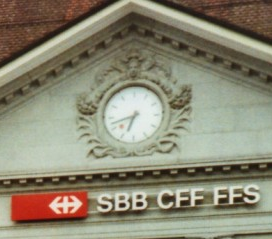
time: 6:41
